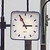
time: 2:55
